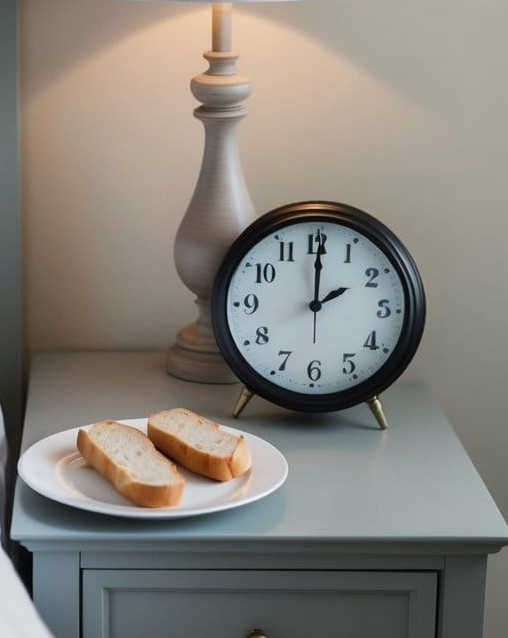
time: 2:00
